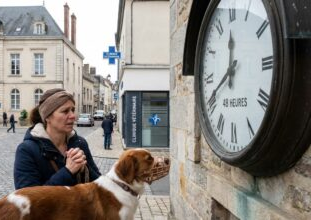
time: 11:40
